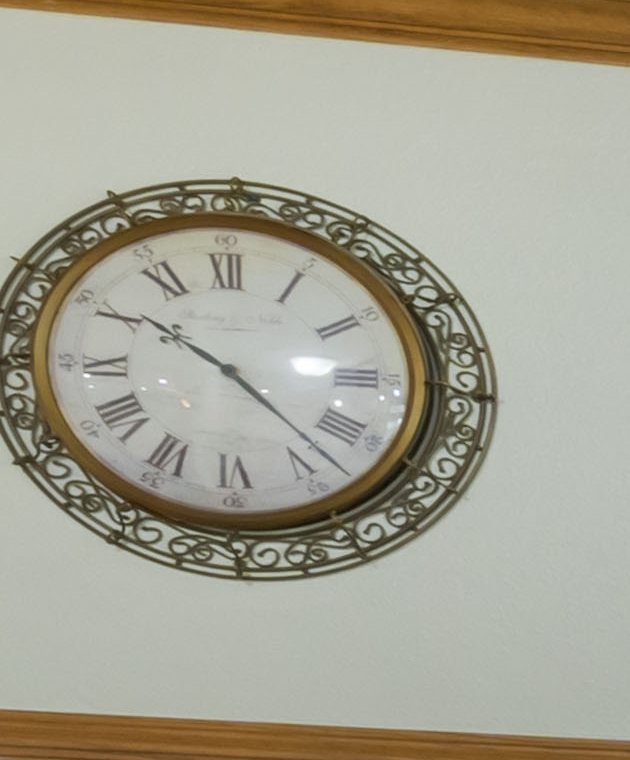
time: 10:22
